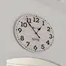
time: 12:53
